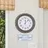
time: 12:07
